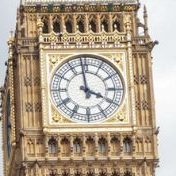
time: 3:58
